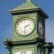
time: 2:31
